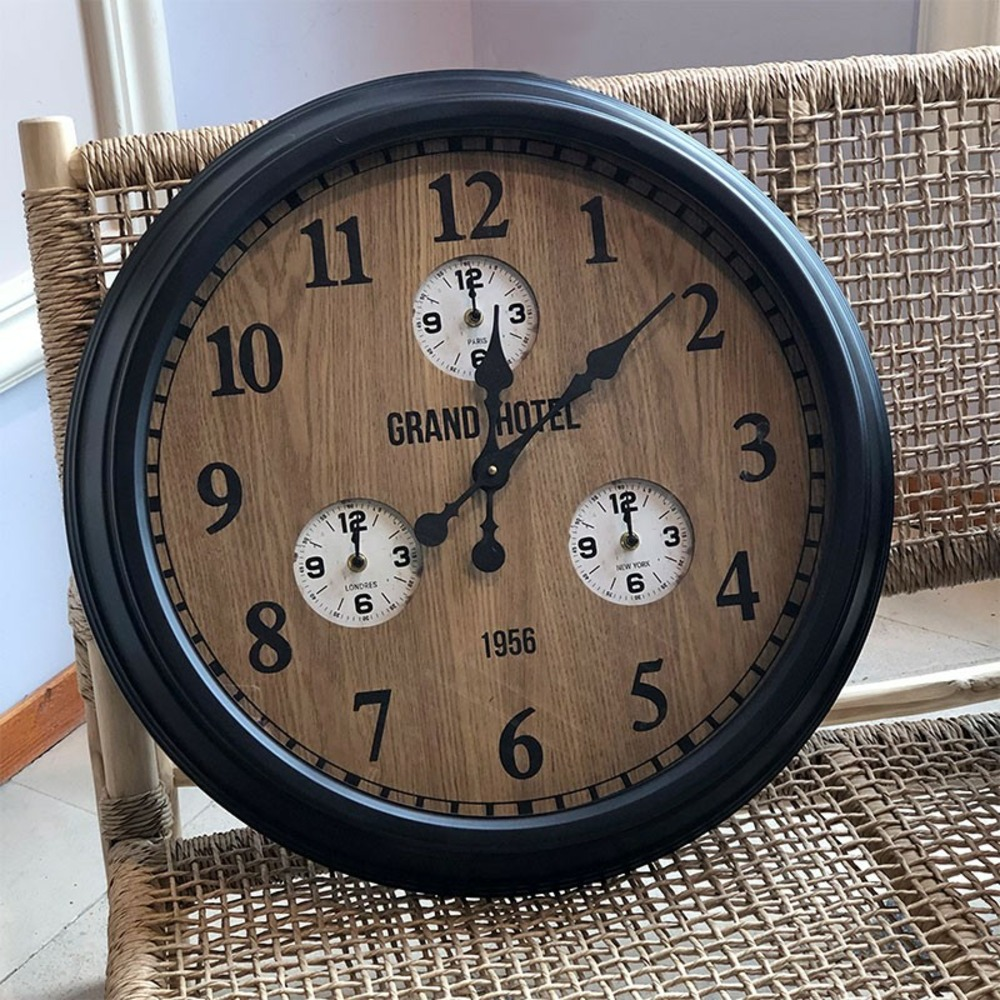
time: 12:08
